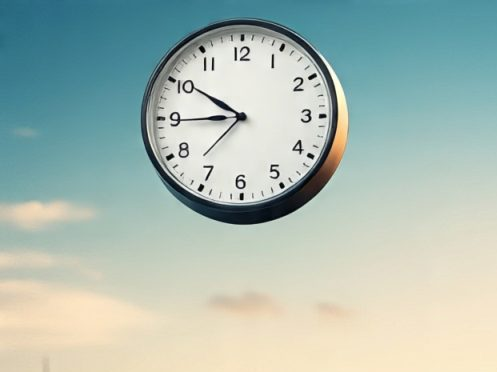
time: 8:50
